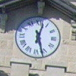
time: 12:27
